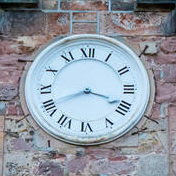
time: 3:41
